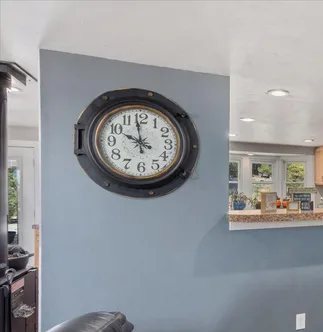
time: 9:58
